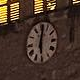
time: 6:02
